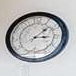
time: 3:08
